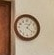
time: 1:21
